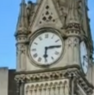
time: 6:14
